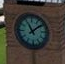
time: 11:08
